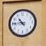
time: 10:45
